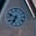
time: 6:48
